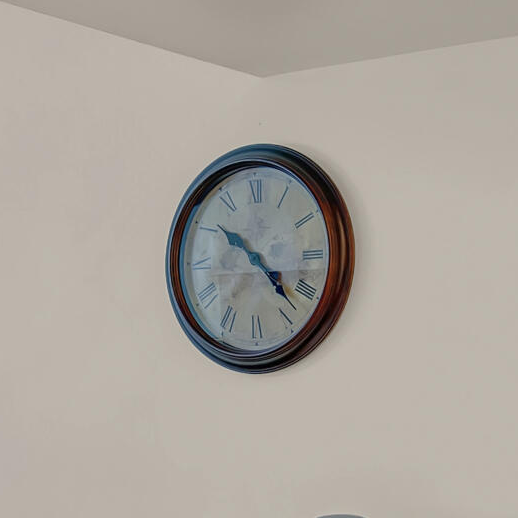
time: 10:22
